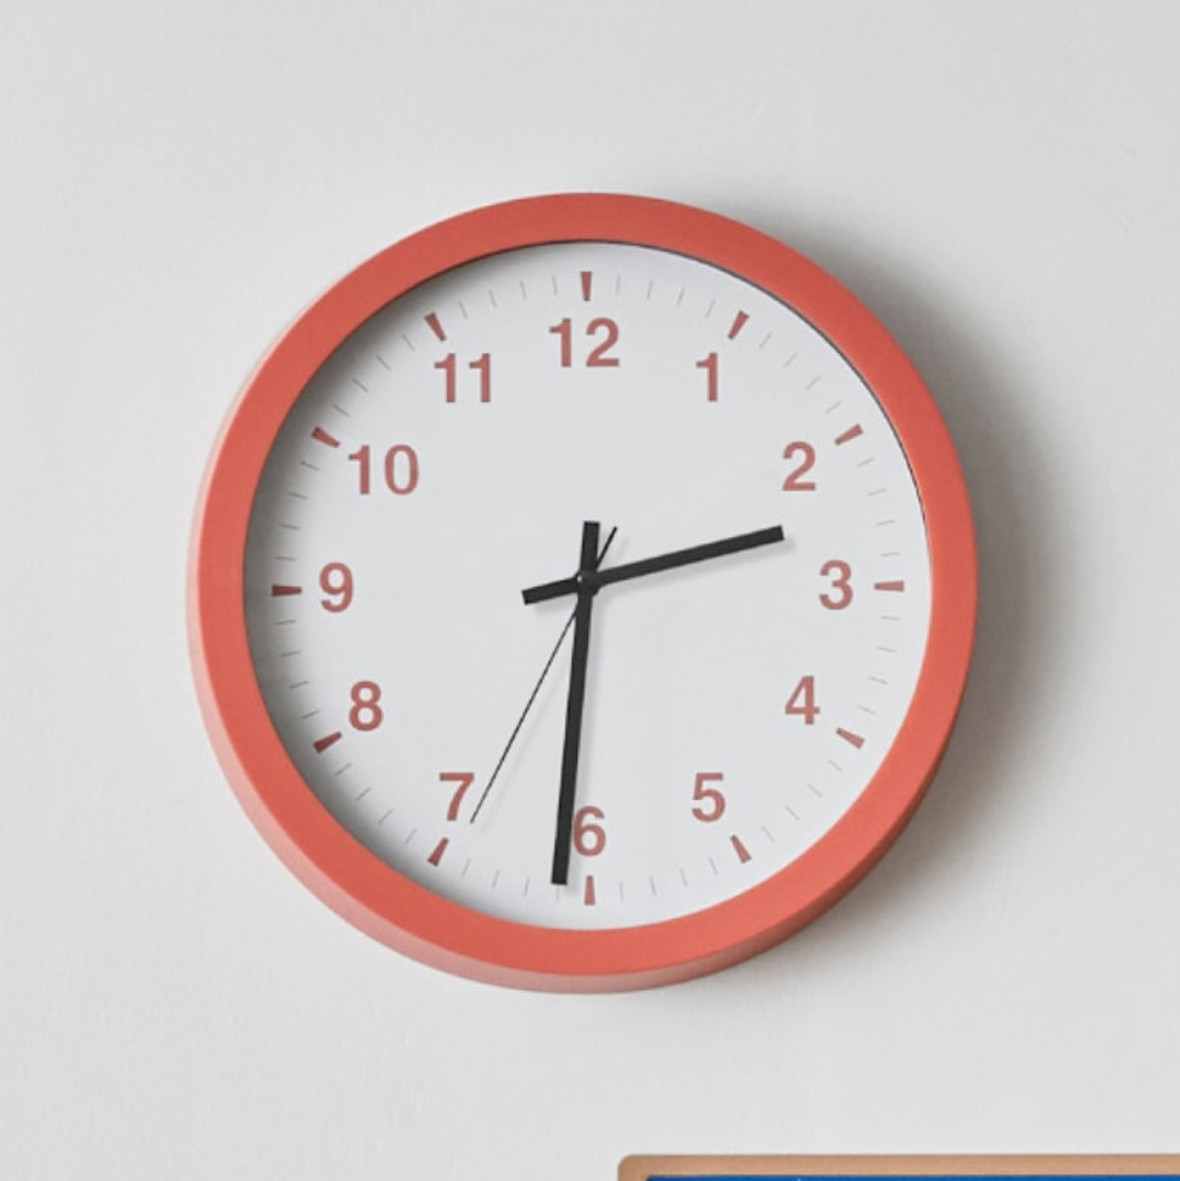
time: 2:30
